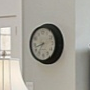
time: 8:36
